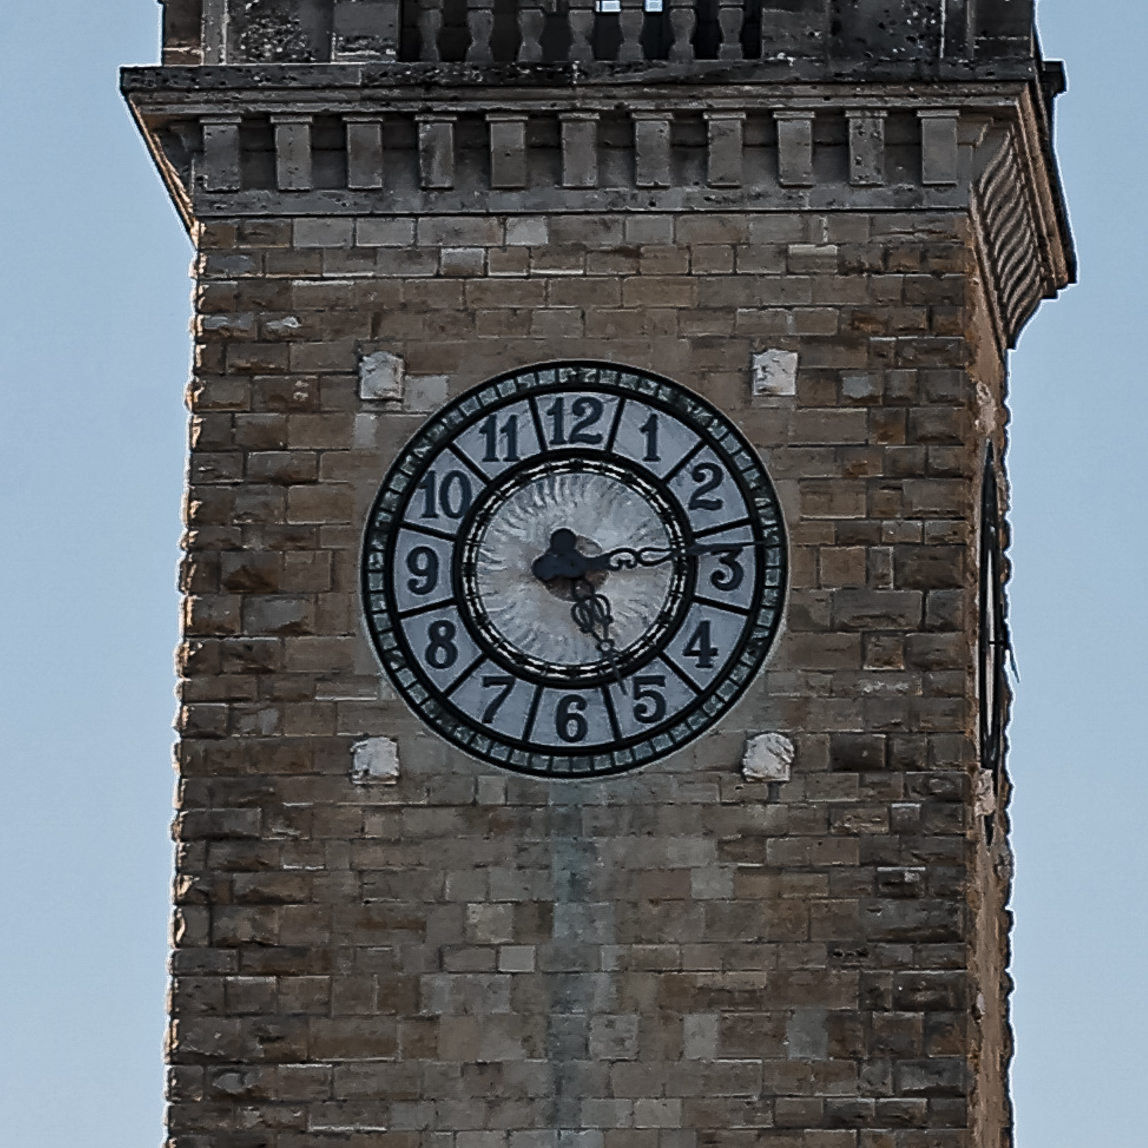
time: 5:14
